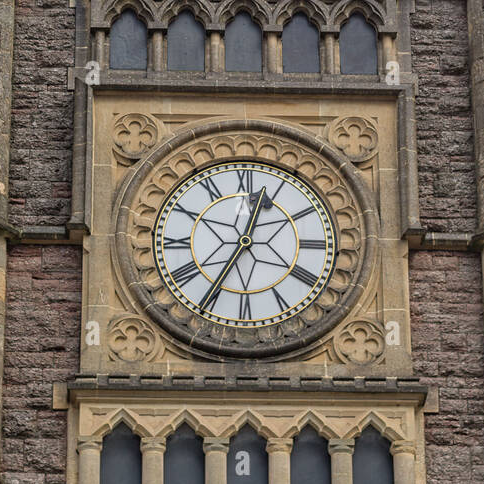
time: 12:34
